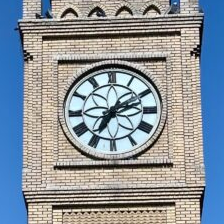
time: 7:11
